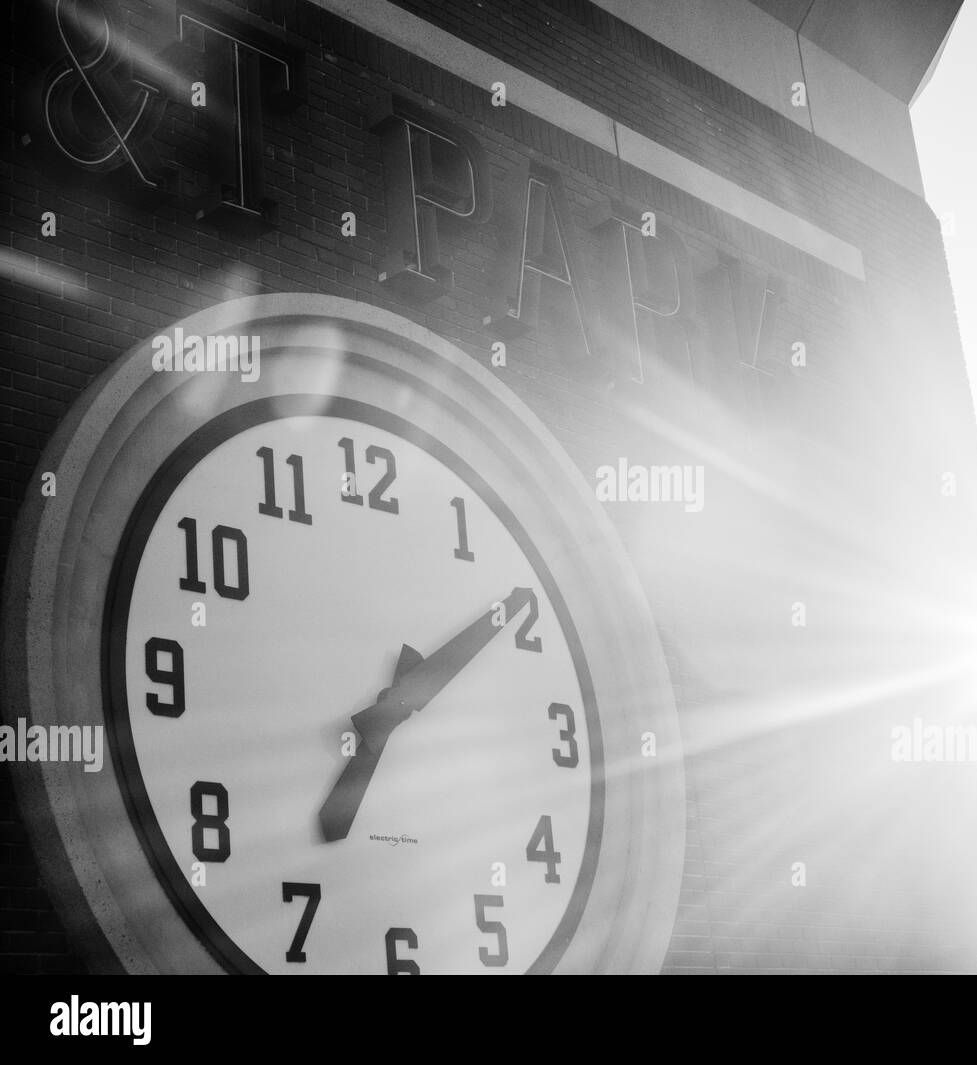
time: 7:09
